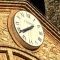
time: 7:39
